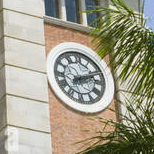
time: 2:11
